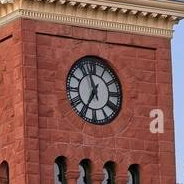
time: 6:56
